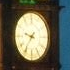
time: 9:36
